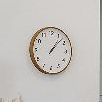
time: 1:07
